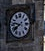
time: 7:46
